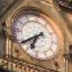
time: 6:39
